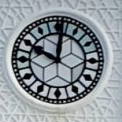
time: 10:00
